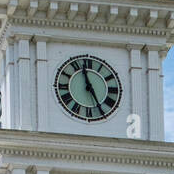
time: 11:25
